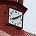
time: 8:09
